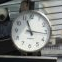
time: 11:15
